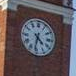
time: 4:31
